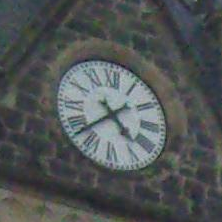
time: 4:37
